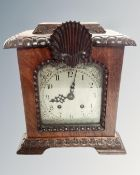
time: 8:02
